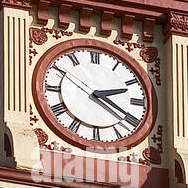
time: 2:19
